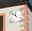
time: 11:52
